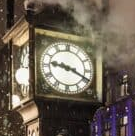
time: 9:19
